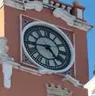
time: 4:43
